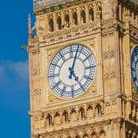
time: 5:03
